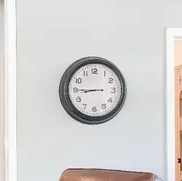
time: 8:45
